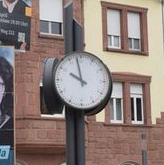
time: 9:58
